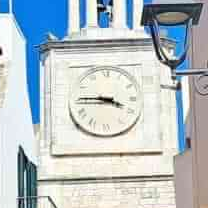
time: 3:45
